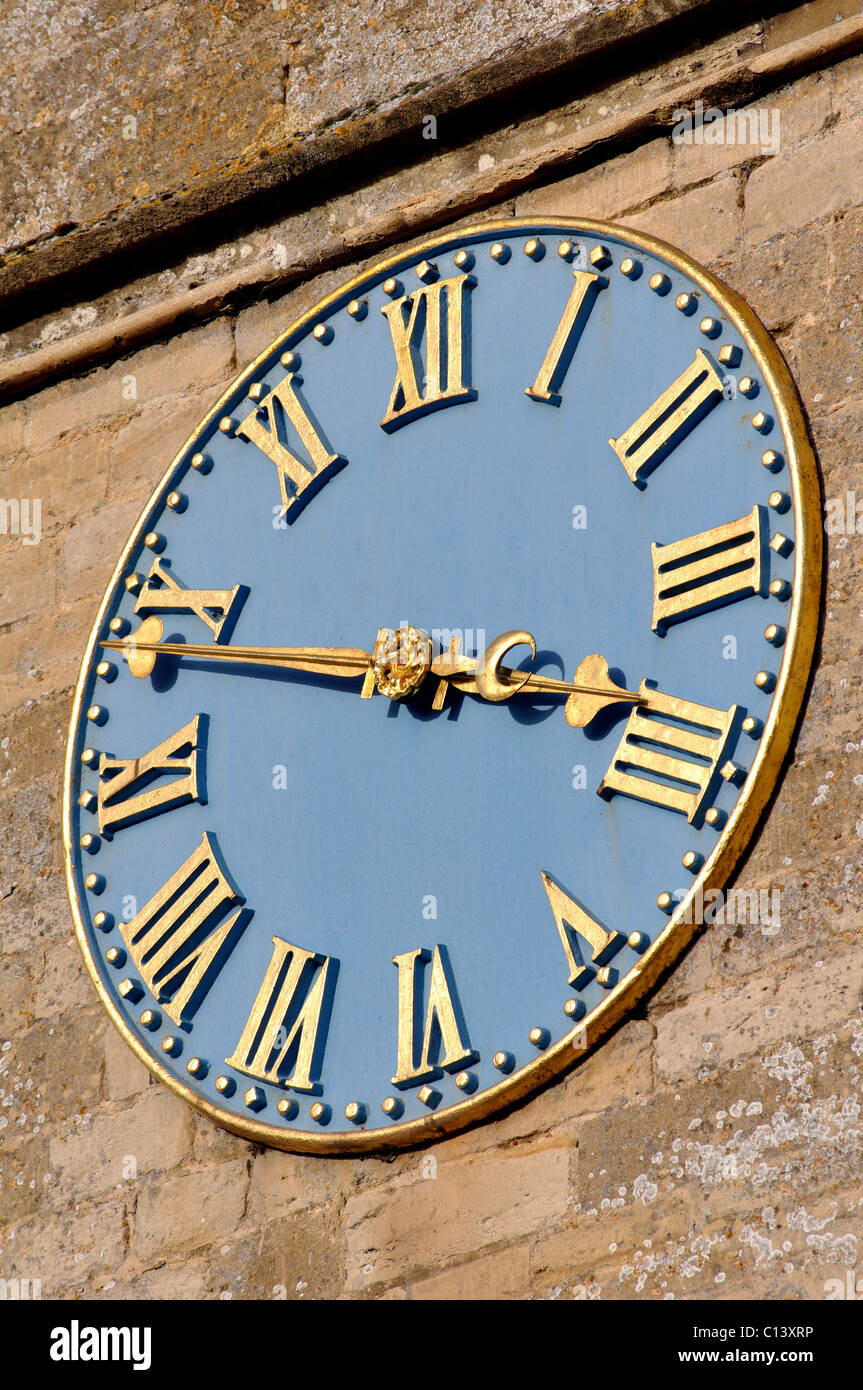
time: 3:48
